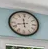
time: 11:42
